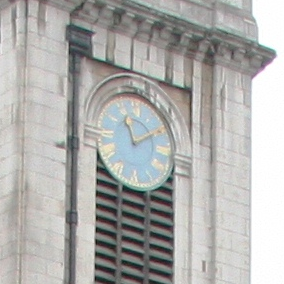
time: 11:09
